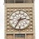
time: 2:34
